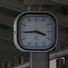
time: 3:44
